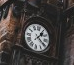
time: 1:20
